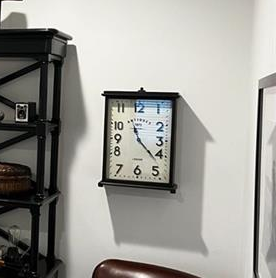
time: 11:22
